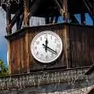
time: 12:20
